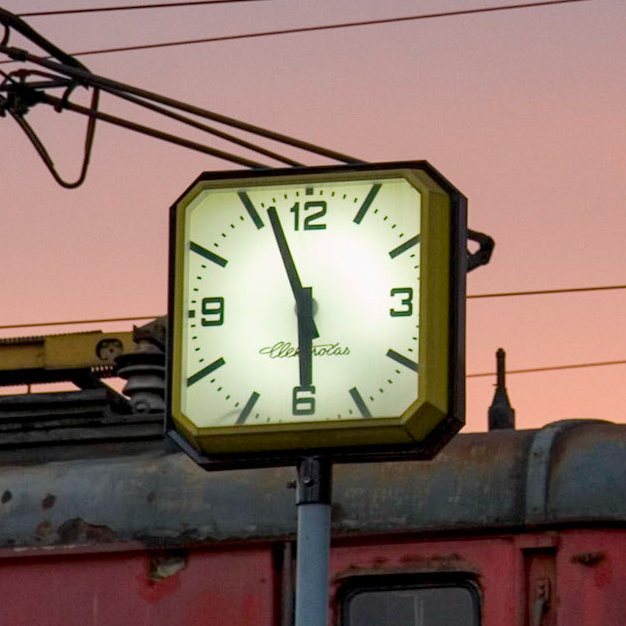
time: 5:56
